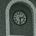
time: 2:29
